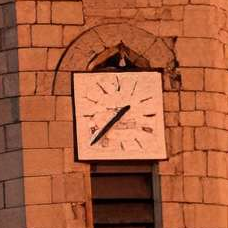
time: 7:37
